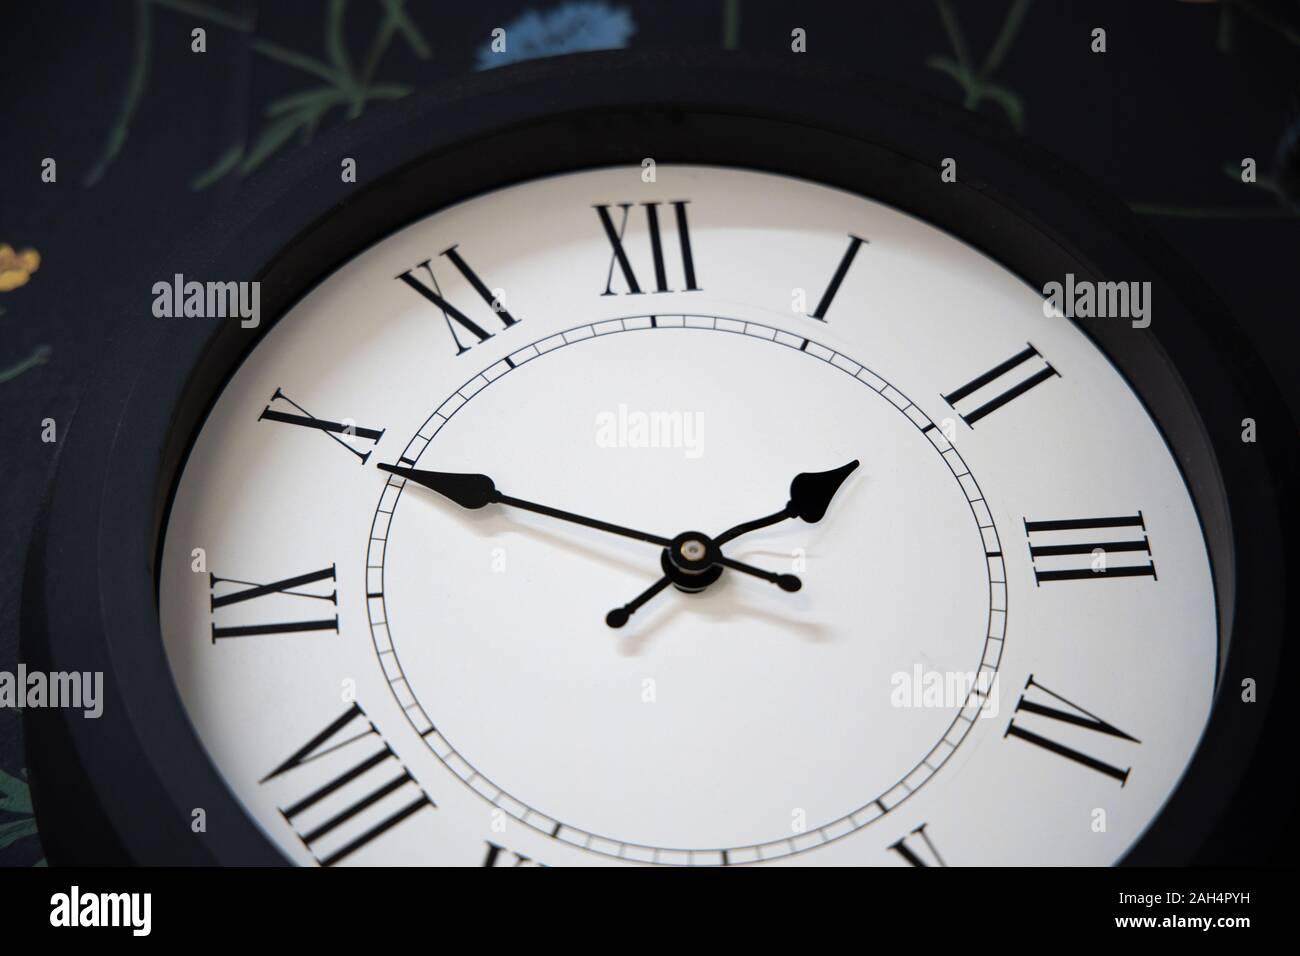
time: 1:49
